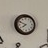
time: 7:49
